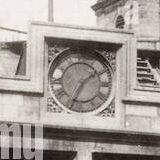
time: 1:34
